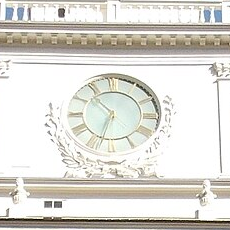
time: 10:33
